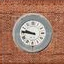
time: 9:45
